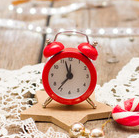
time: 11:36
